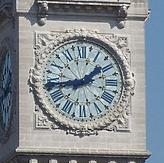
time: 1:42
